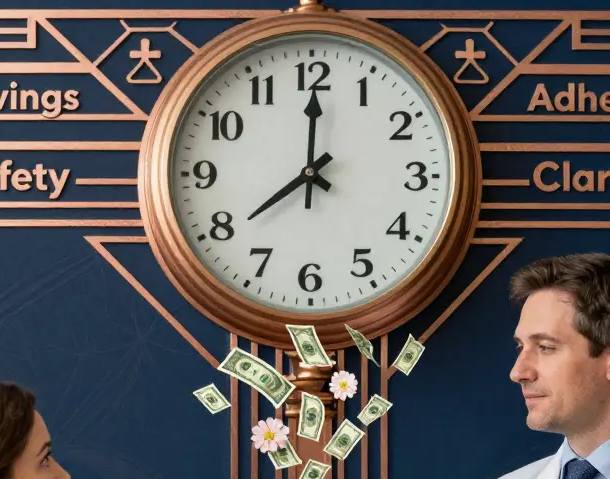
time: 8:00
